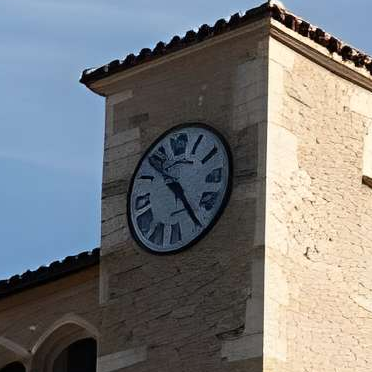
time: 10:24
